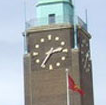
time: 2:35
